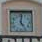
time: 5:00
